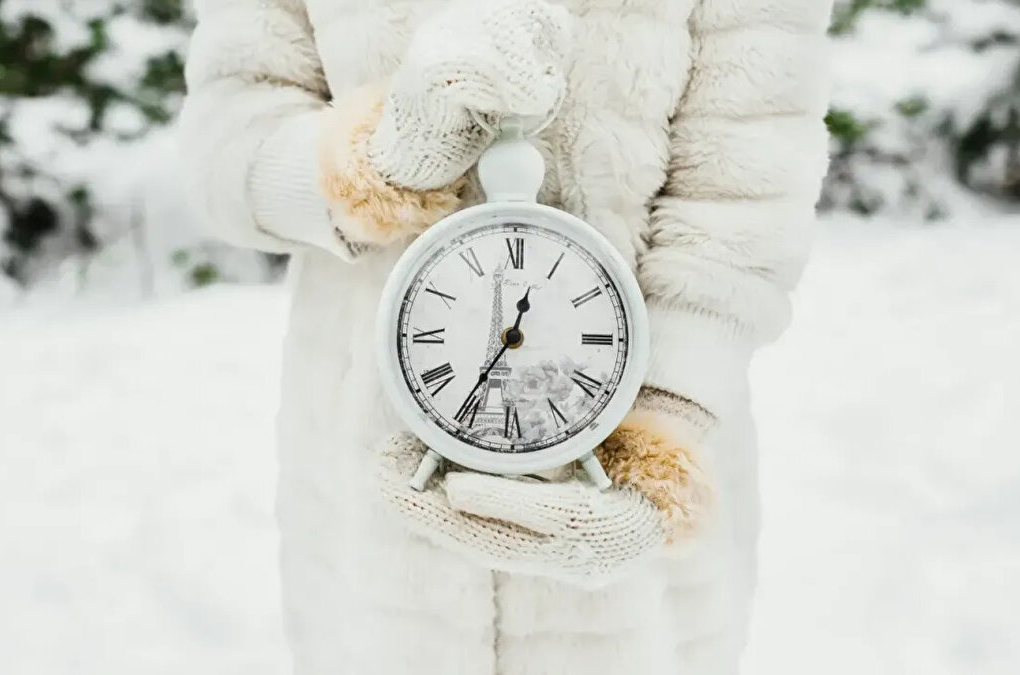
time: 12:35
